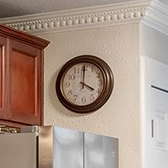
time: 4:00
